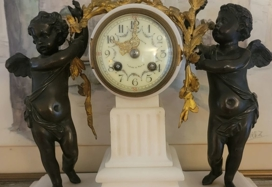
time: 10:00
